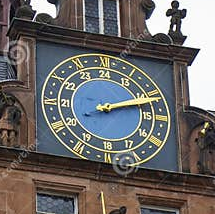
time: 2:12
